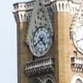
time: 4:40
